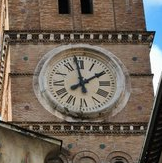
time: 1:58
